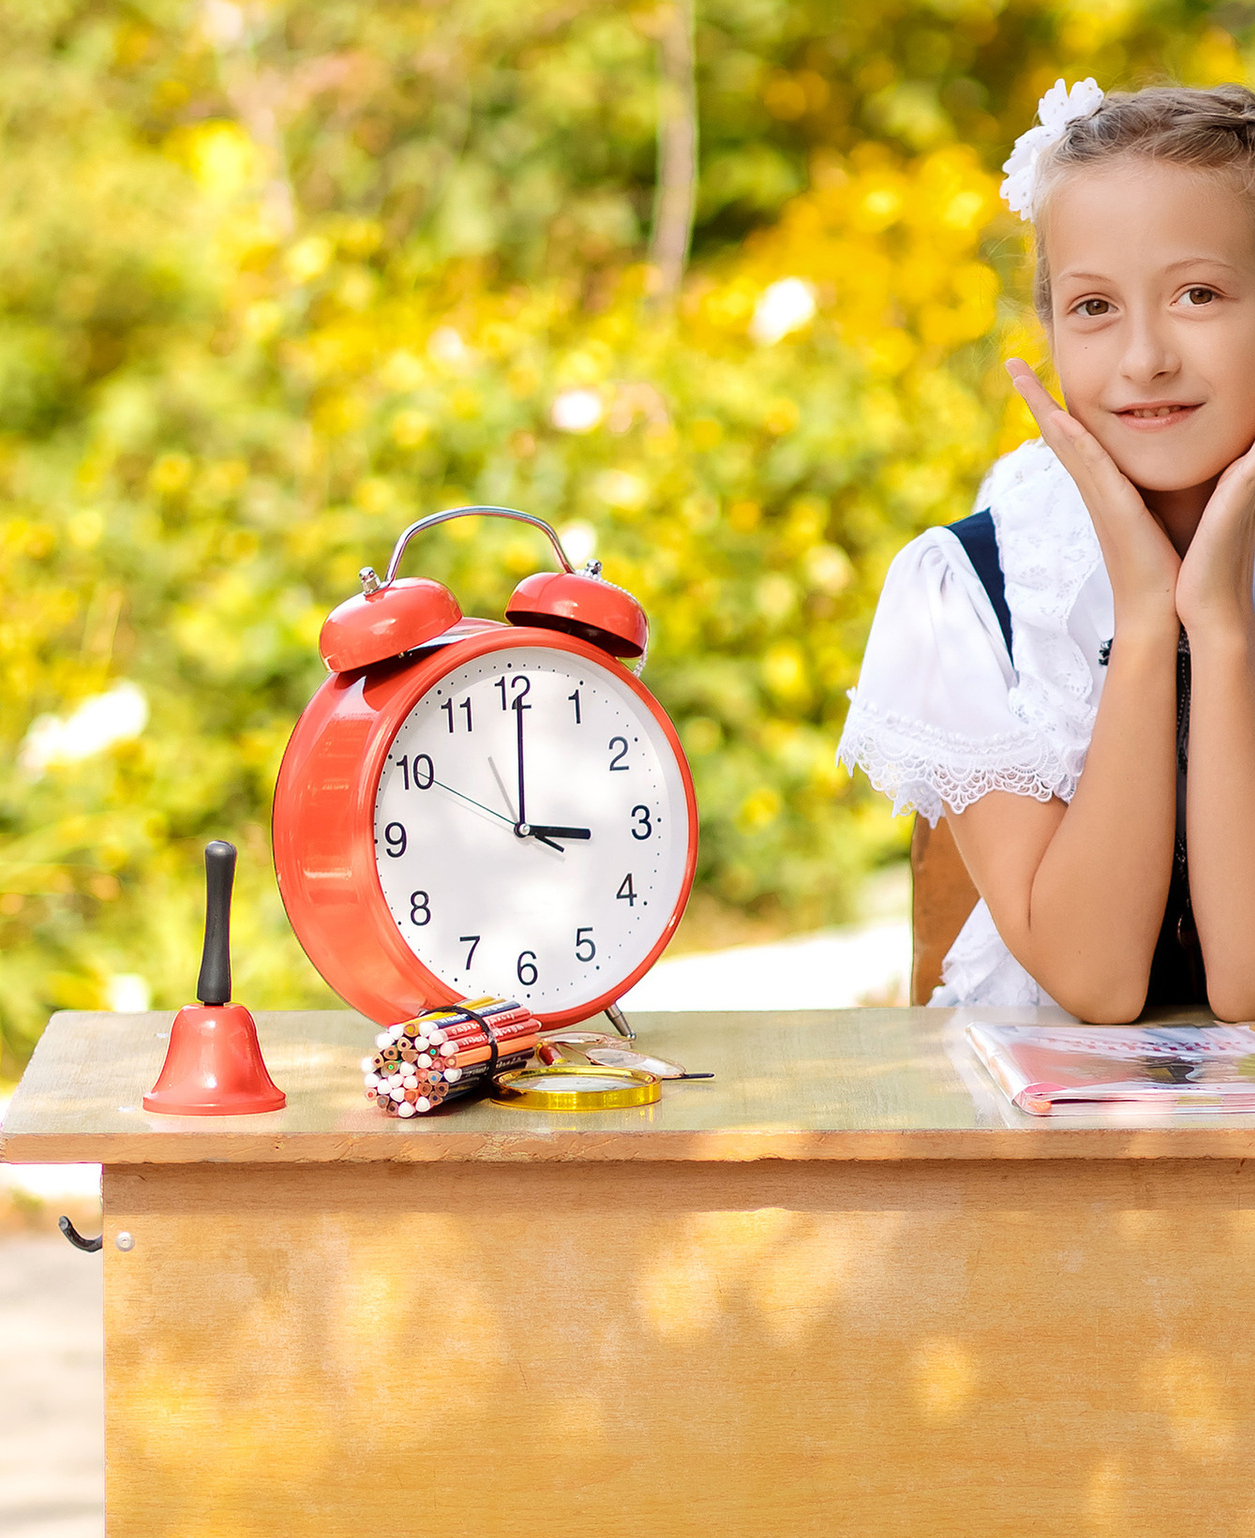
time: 3:00
